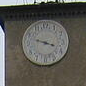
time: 3:48
